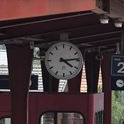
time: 4:13
